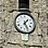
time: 1:26
